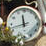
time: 11:42
